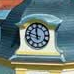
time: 11:47
